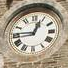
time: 12:45
